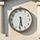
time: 5:31
